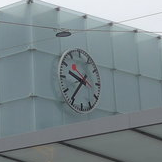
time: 9:36
